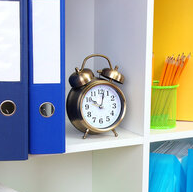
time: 10:02
